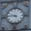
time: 9:45
